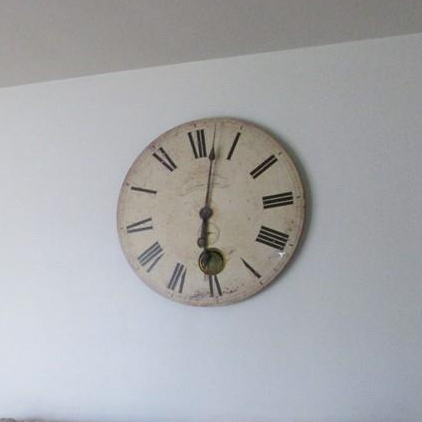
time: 6:02
